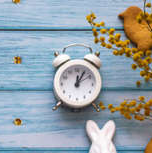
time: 12:05
